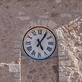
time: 5:05
